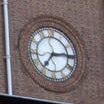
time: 7:14
